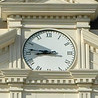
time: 8:46
